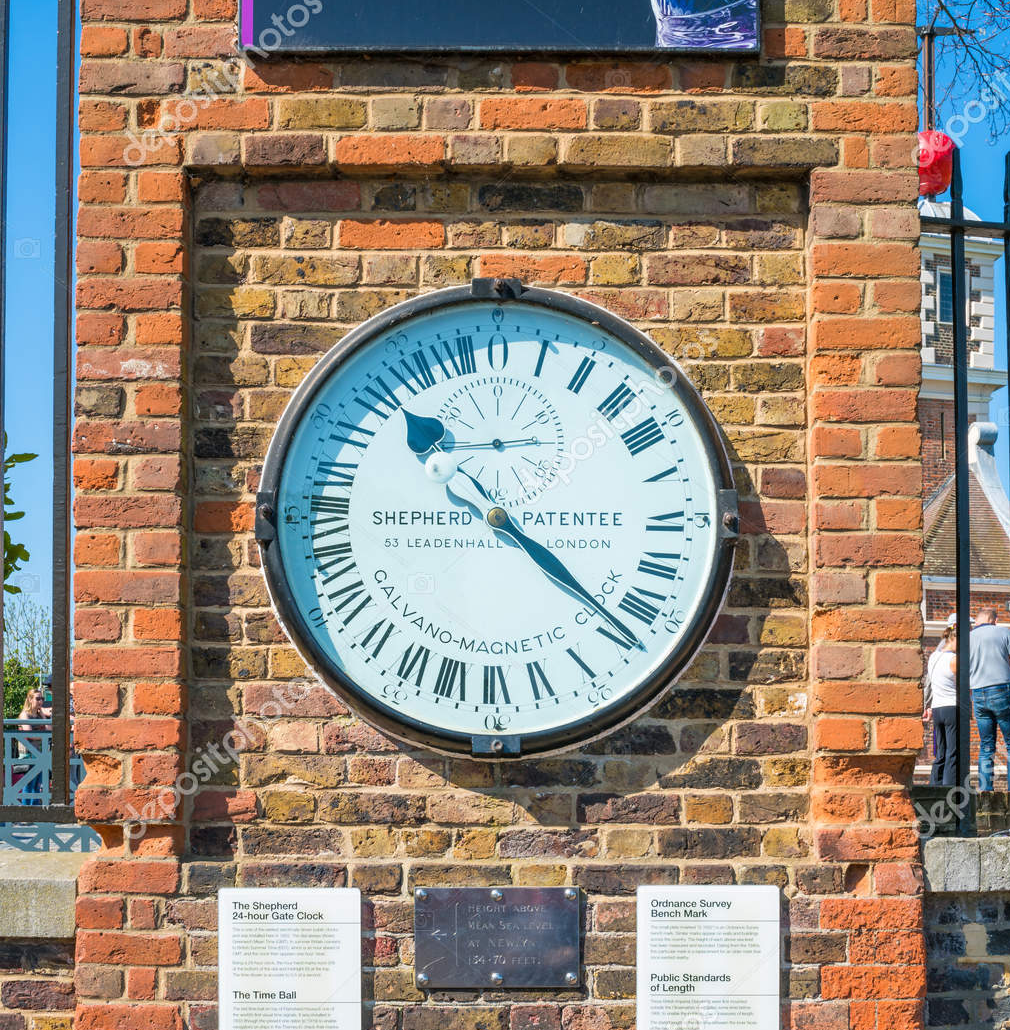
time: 10:21
